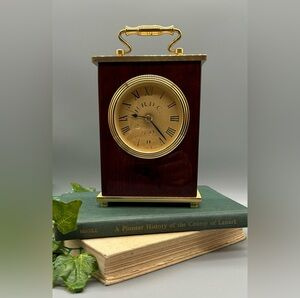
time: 9:22
